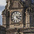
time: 4:14
